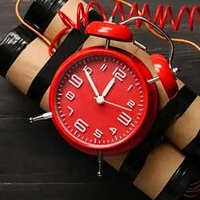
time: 12:54
